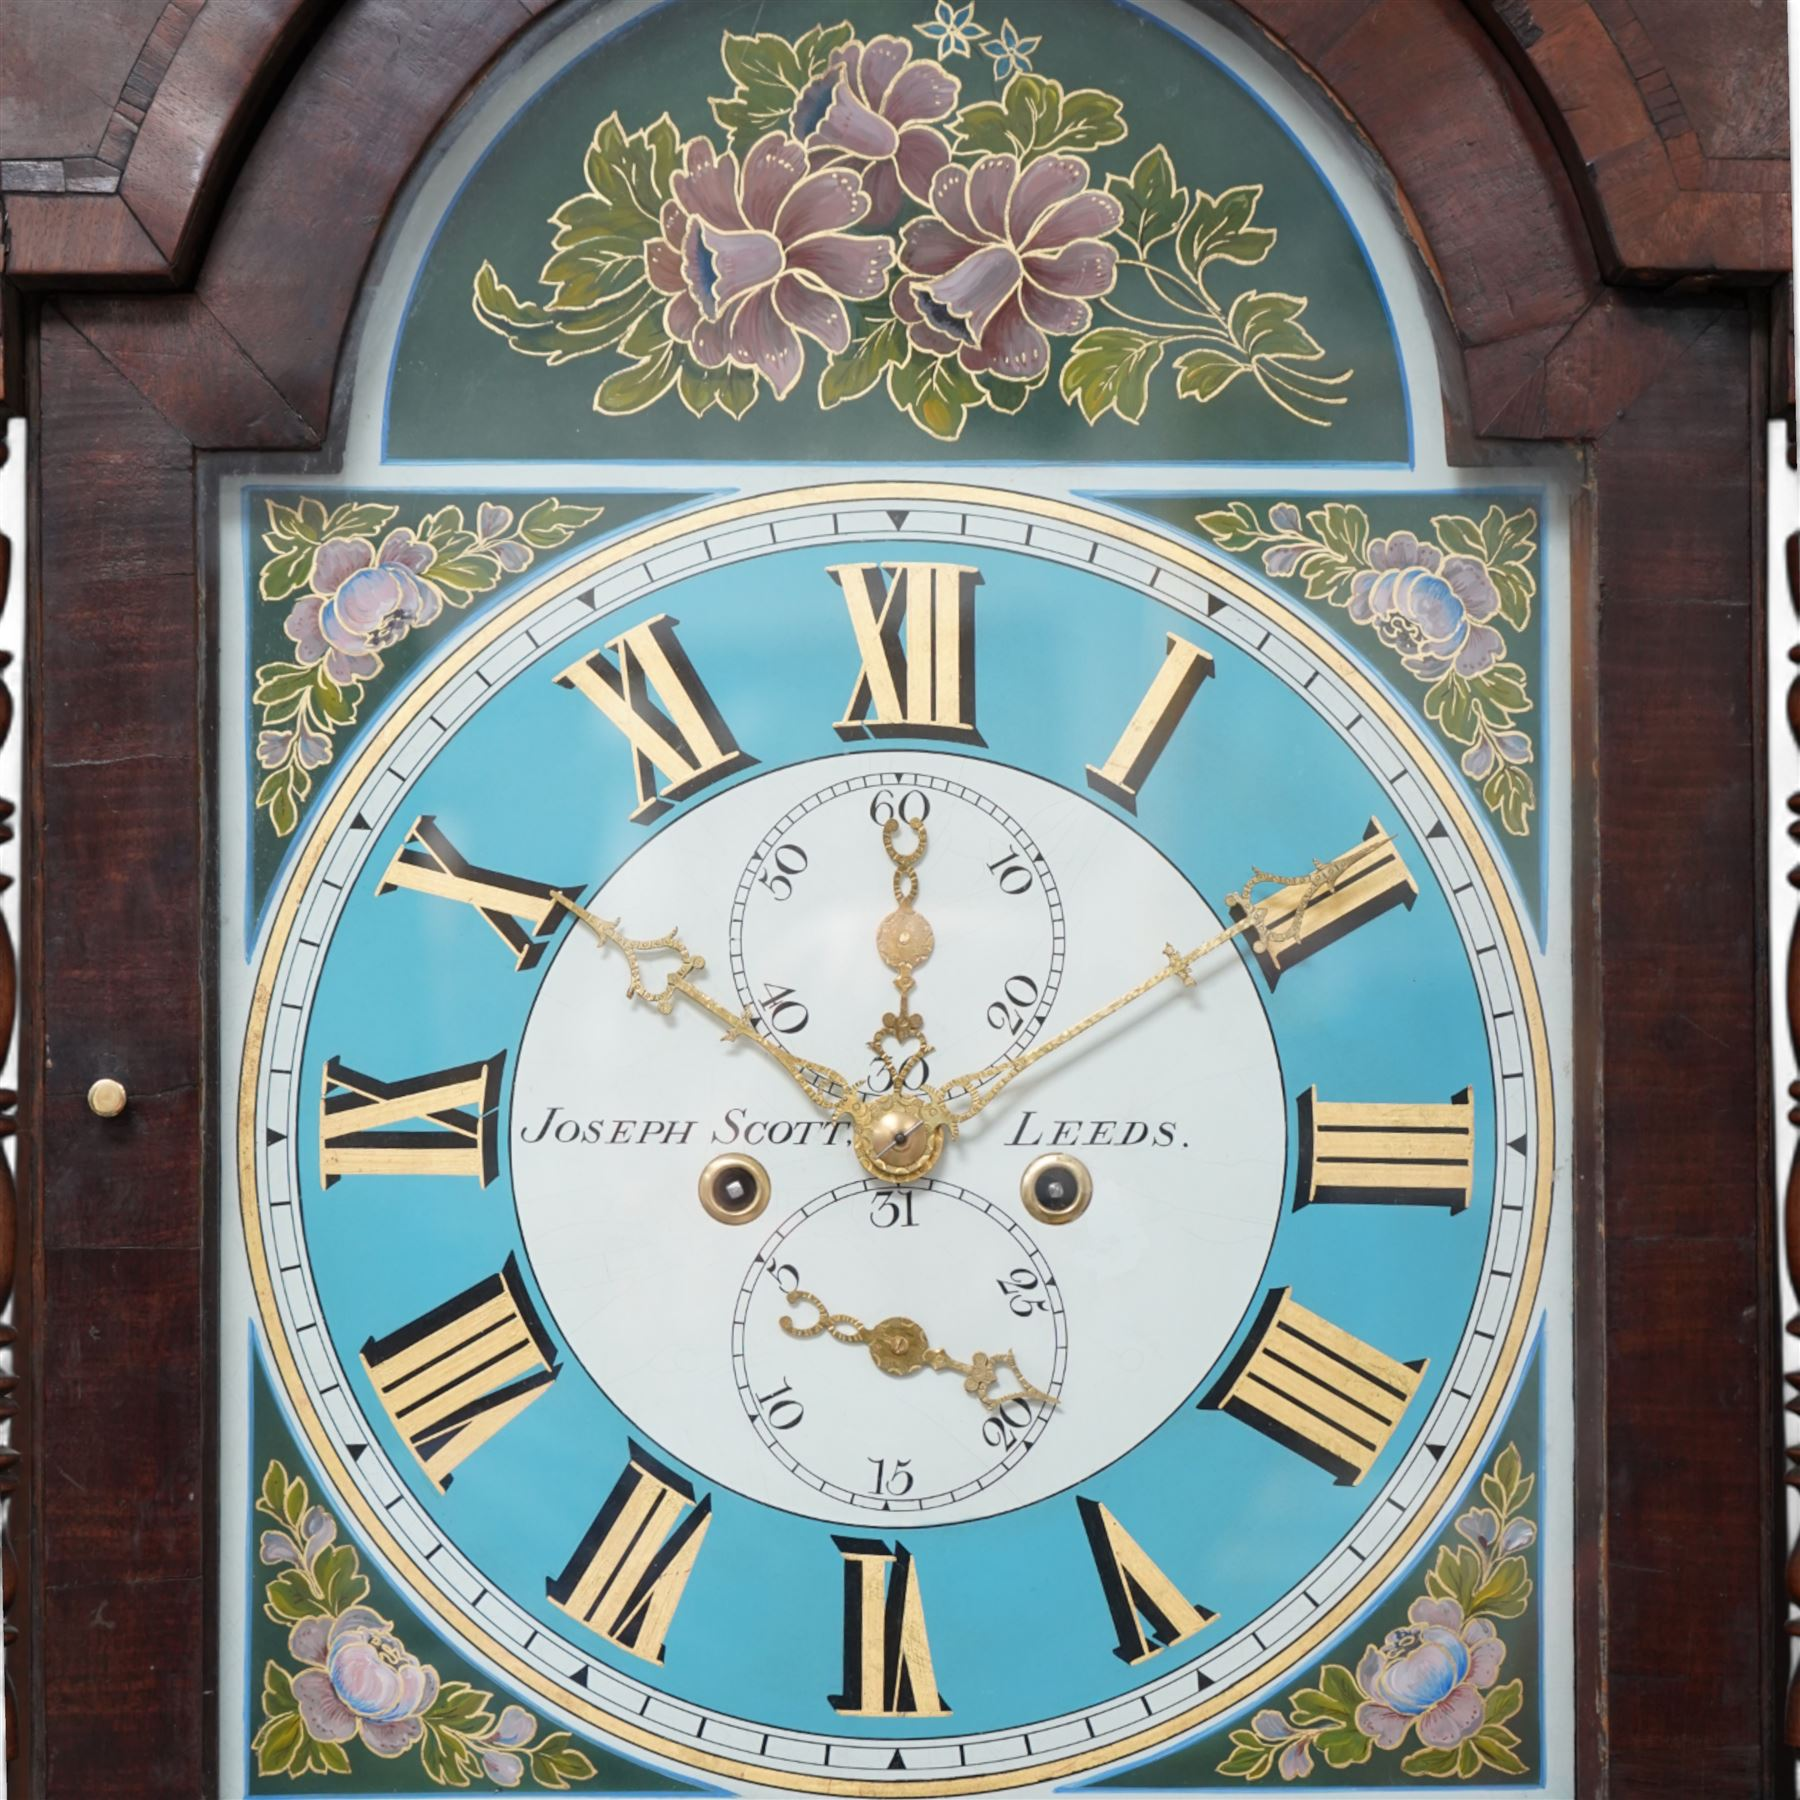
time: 11:50
